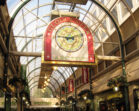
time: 9:12
